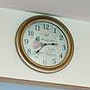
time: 2:37
